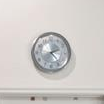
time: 2:23
